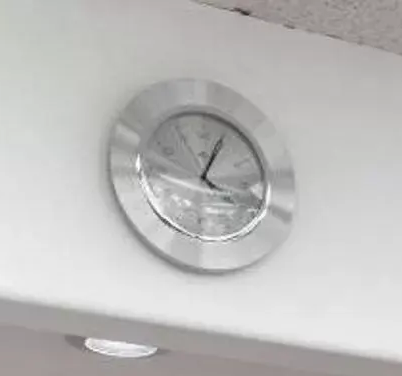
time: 4:04
